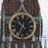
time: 10:34
